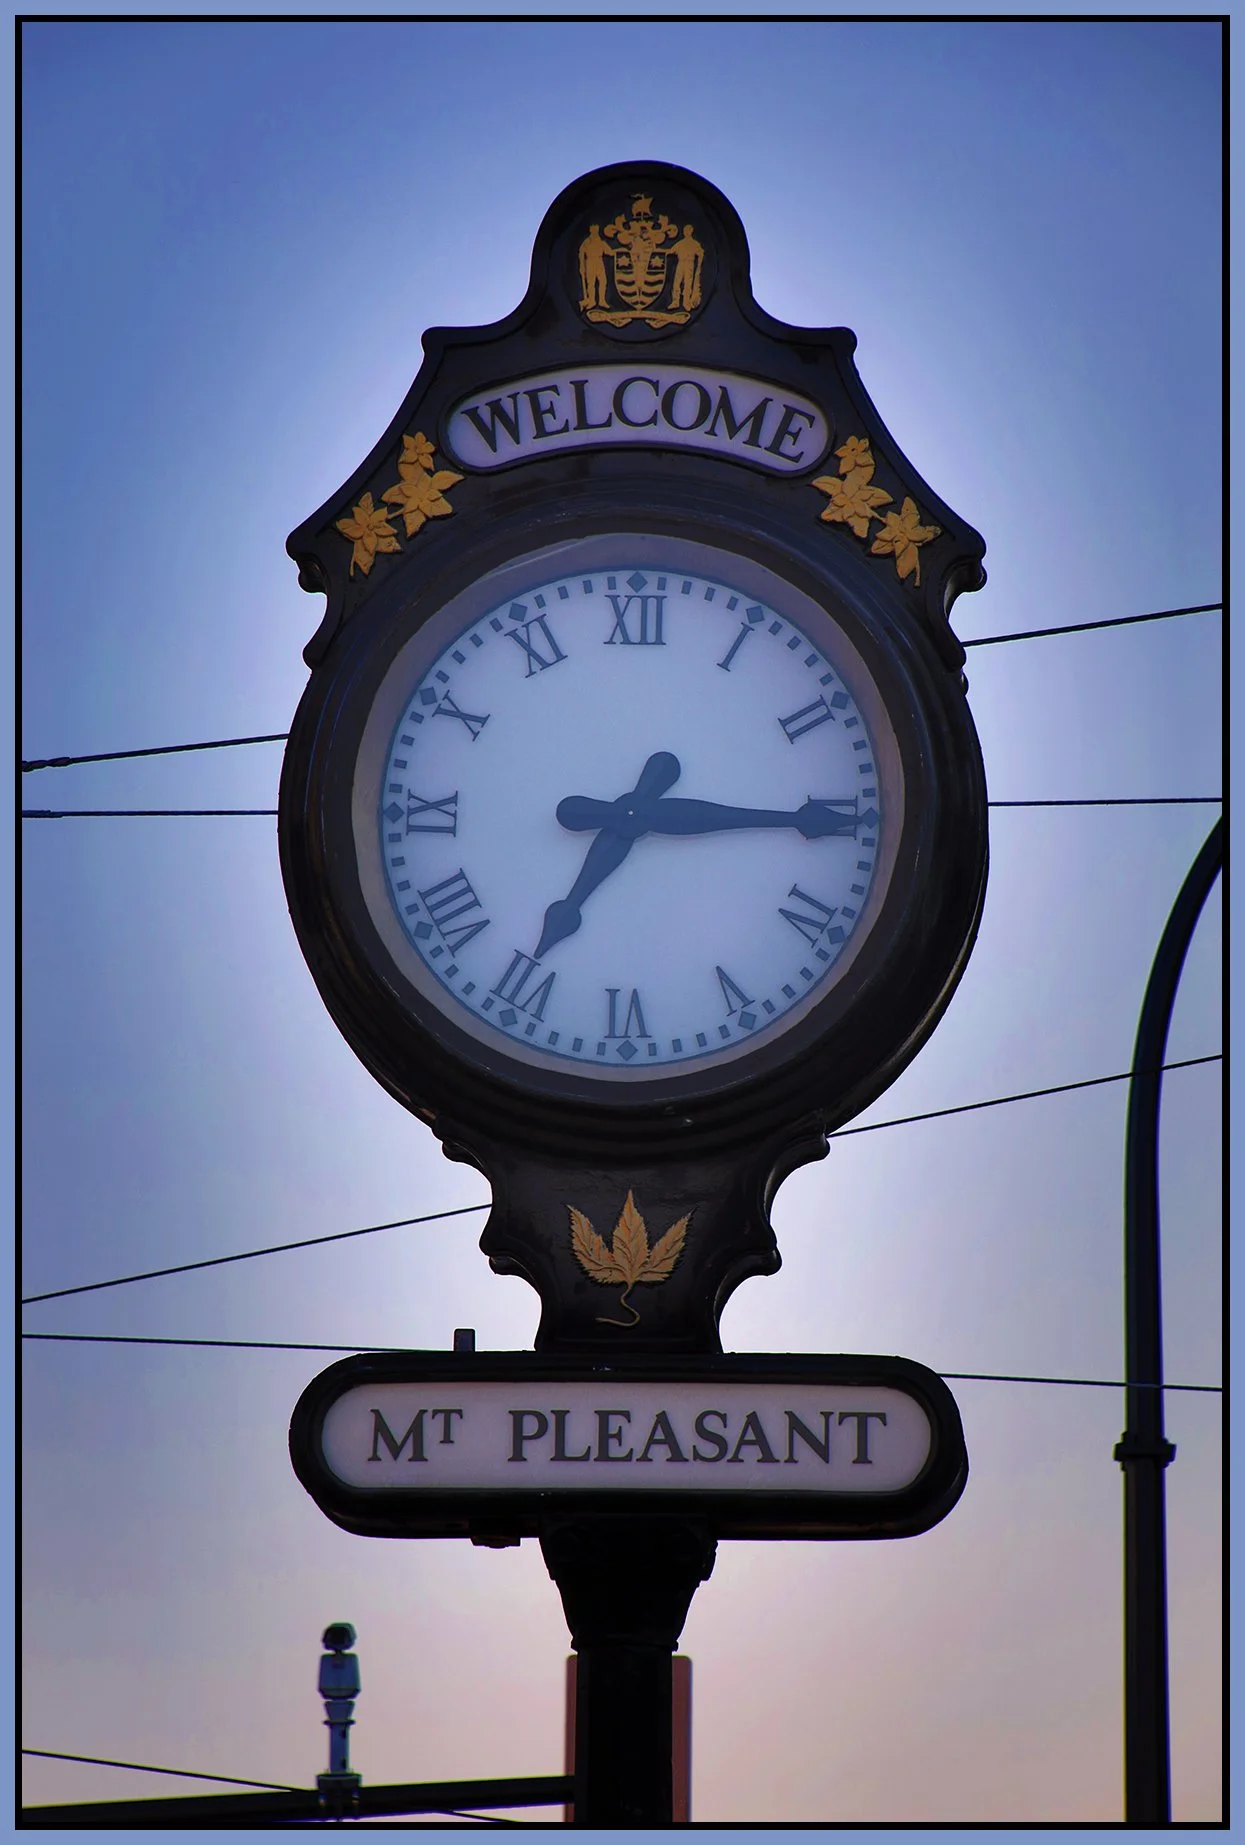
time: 7:15
